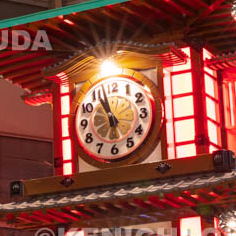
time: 10:57
